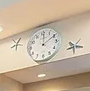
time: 12:09
